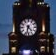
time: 4:32
